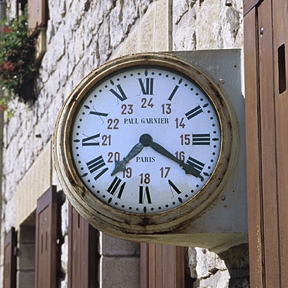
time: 7:20
